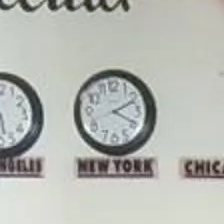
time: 2:19
